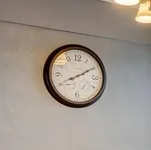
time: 8:09
